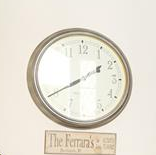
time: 1:40
